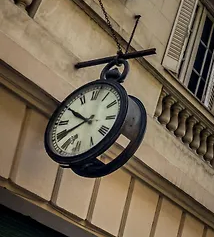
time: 7:49
